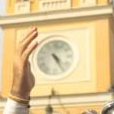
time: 4:24
